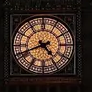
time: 4:41
